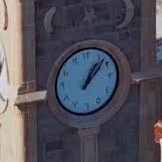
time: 1:07
